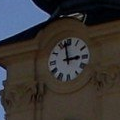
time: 2:58
